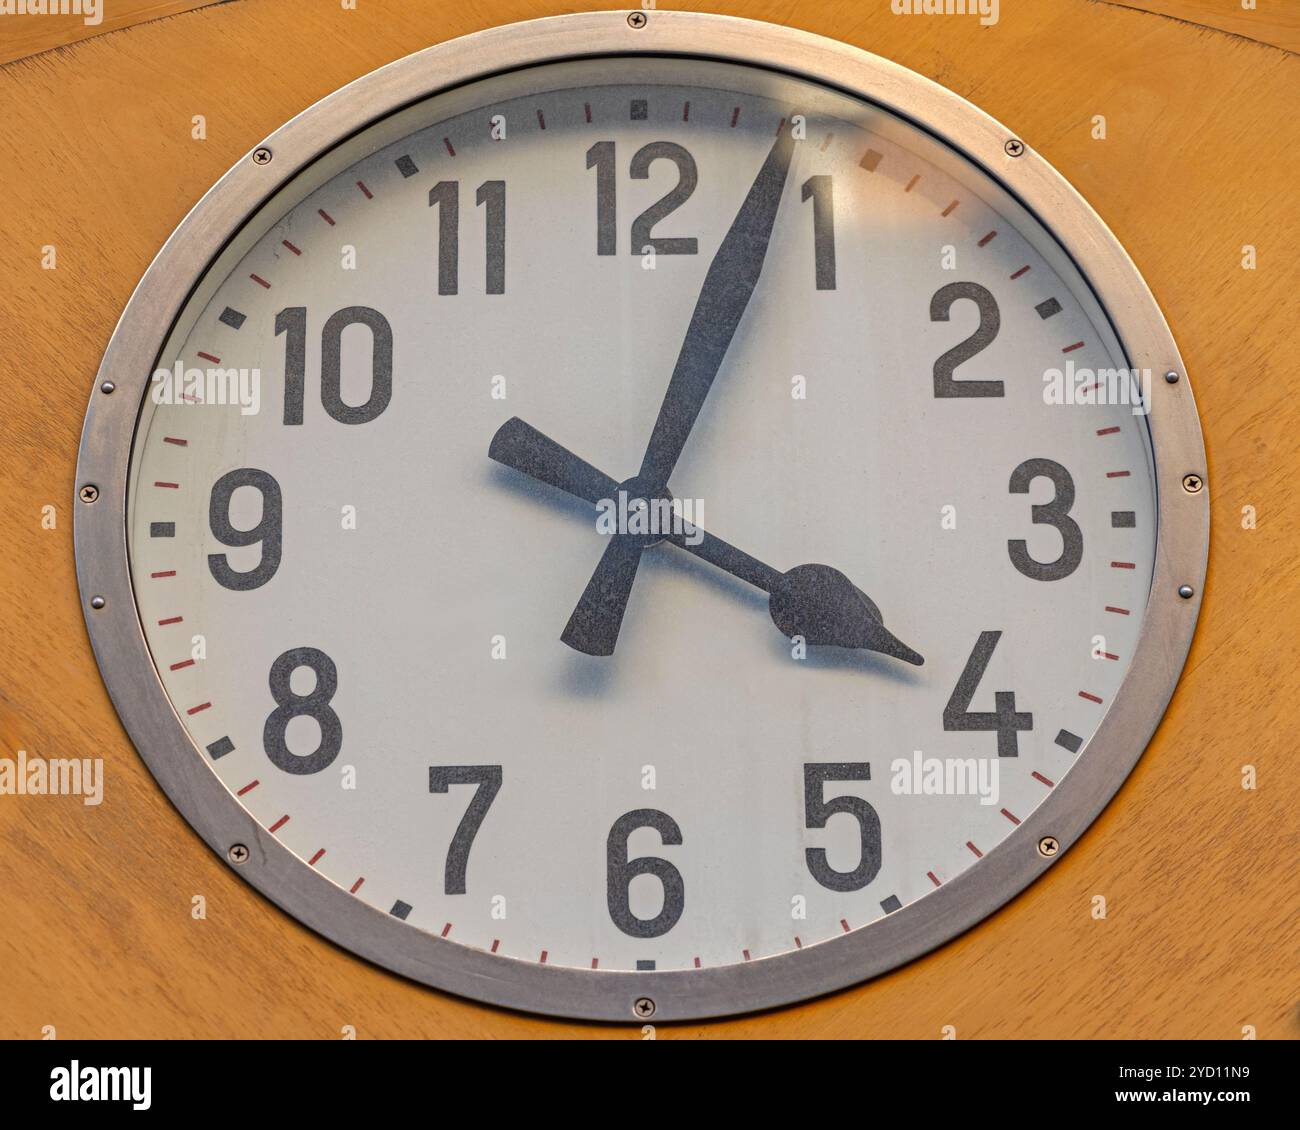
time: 4:03
